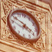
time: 3:49
